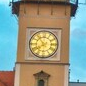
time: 7:53
